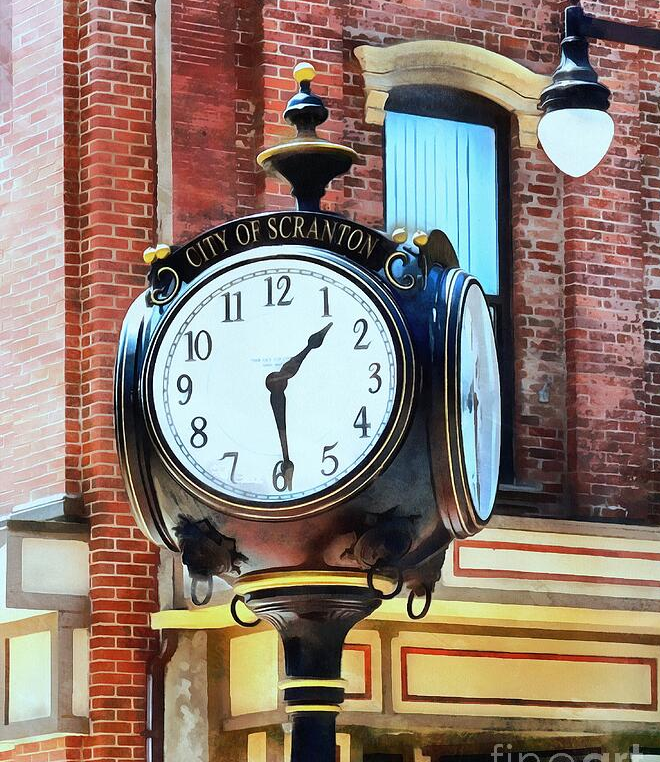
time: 1:29
